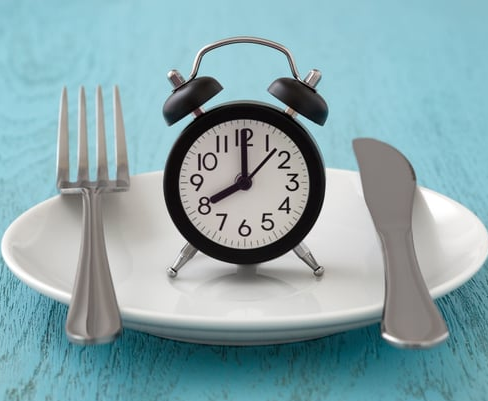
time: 8:00
